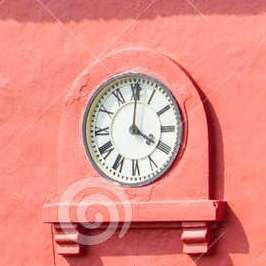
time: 4:00
